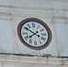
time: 7:50
